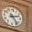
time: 2:23
